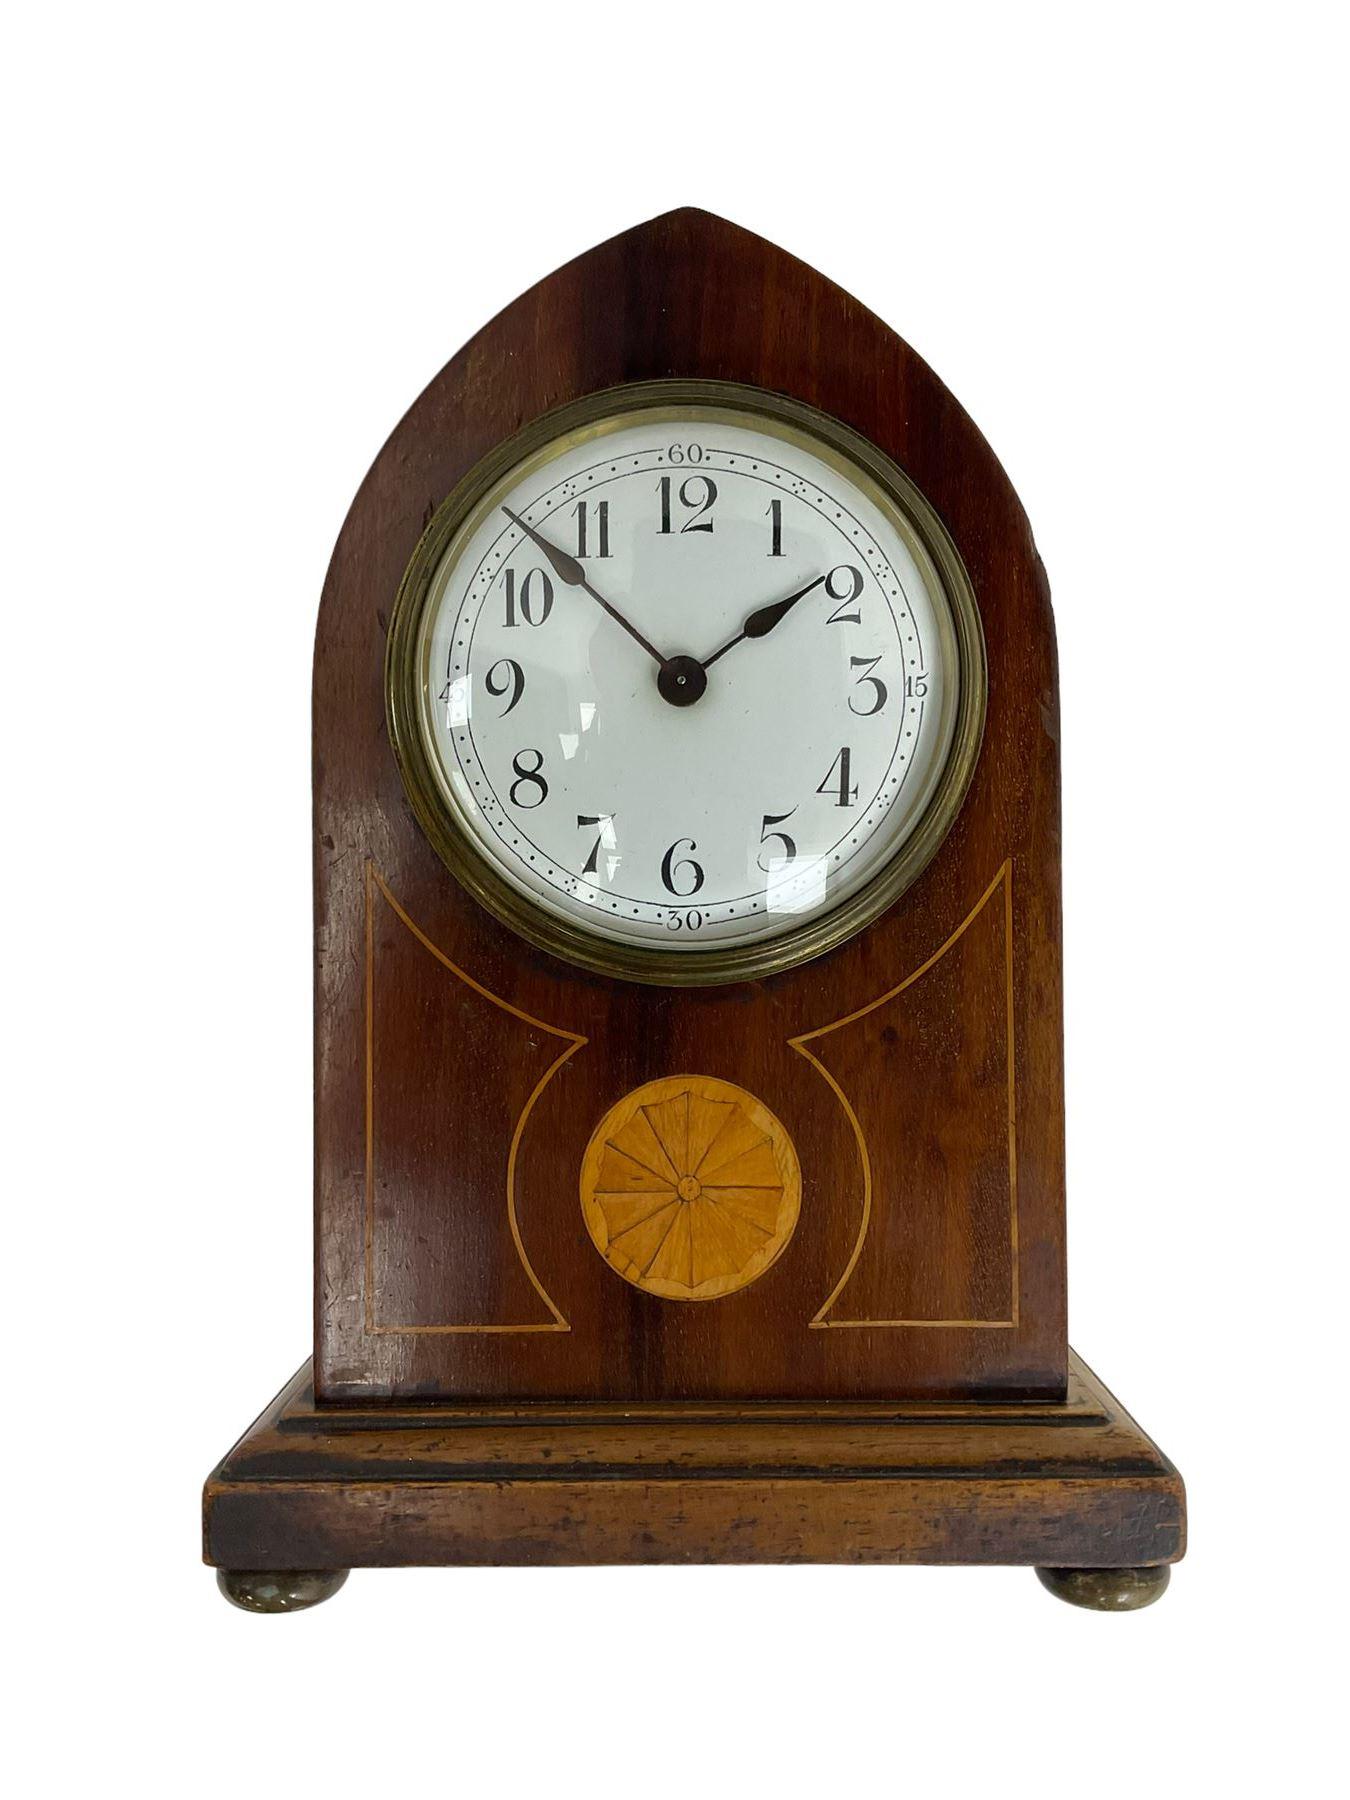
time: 1:52
